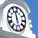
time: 11:28
